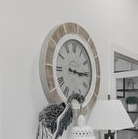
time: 3:15
